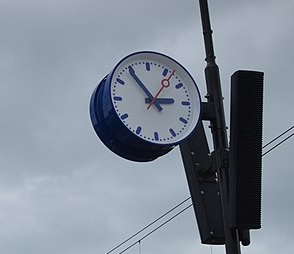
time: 2:54
